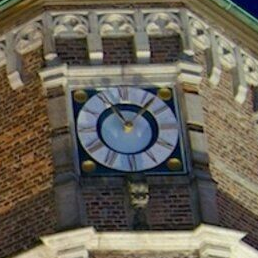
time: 11:07
